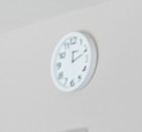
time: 12:11
